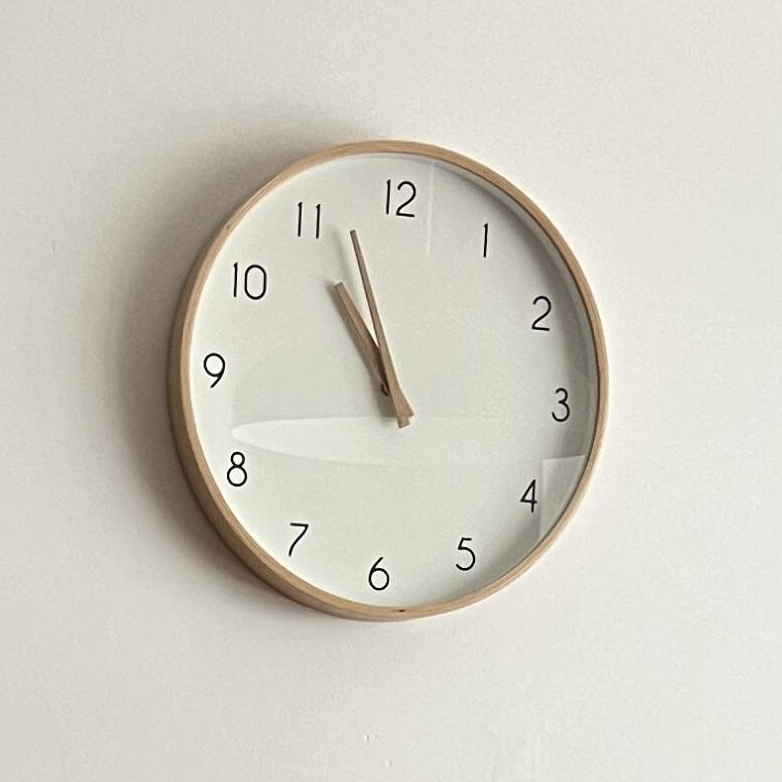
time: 10:56
